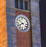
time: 7:51
